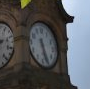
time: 5:26
